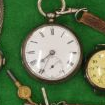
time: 7:34
